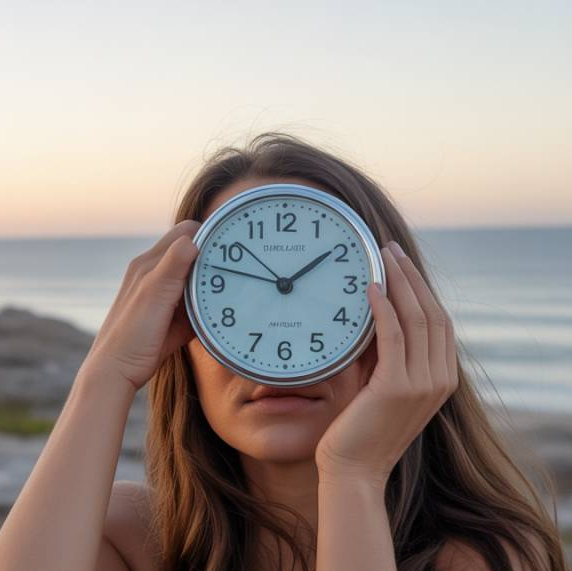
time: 1:47
